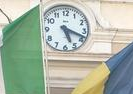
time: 5:18
